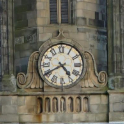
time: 4:40
